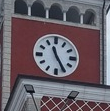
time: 11:25
